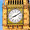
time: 8:09
